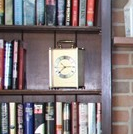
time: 2:38
